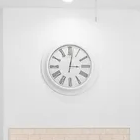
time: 3:01
